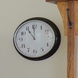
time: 10:59
